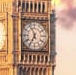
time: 6:56
